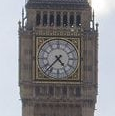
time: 4:37
